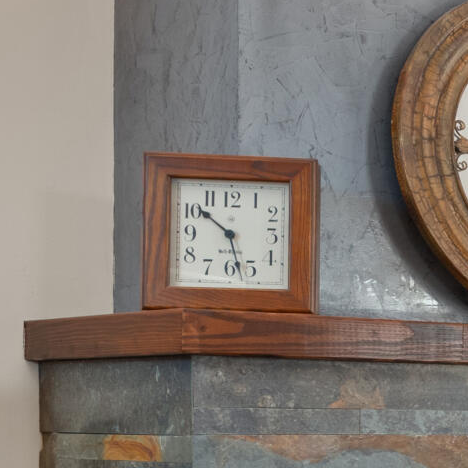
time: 10:27
